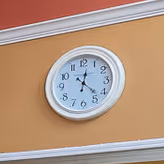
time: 12:22
